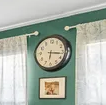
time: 6:16
